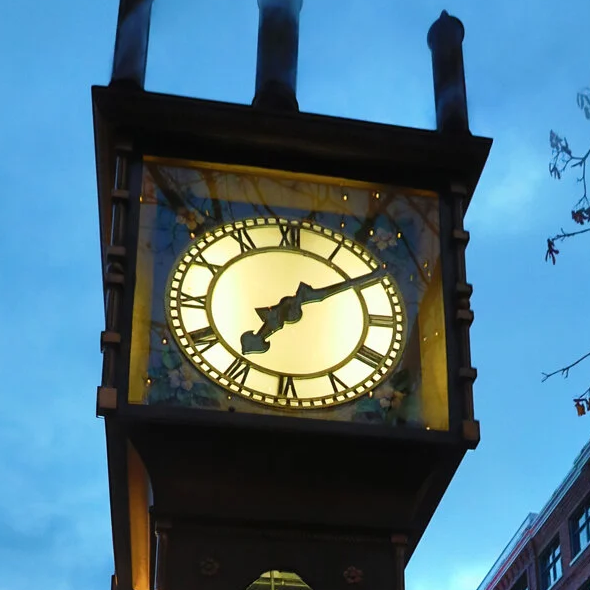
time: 7:09
